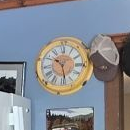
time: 10:28
